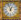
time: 12:57
